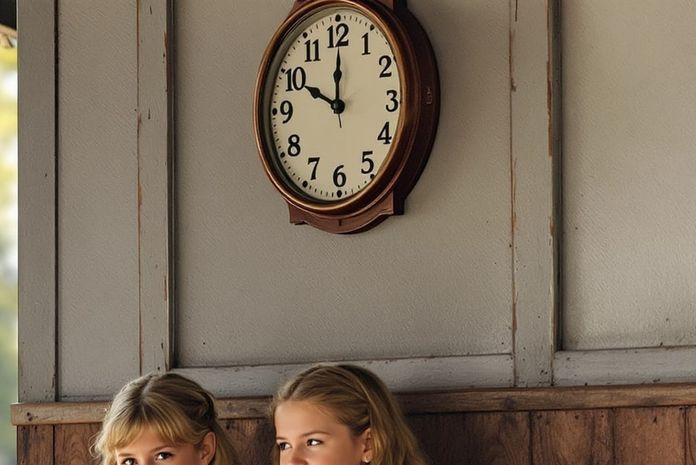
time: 10:00
